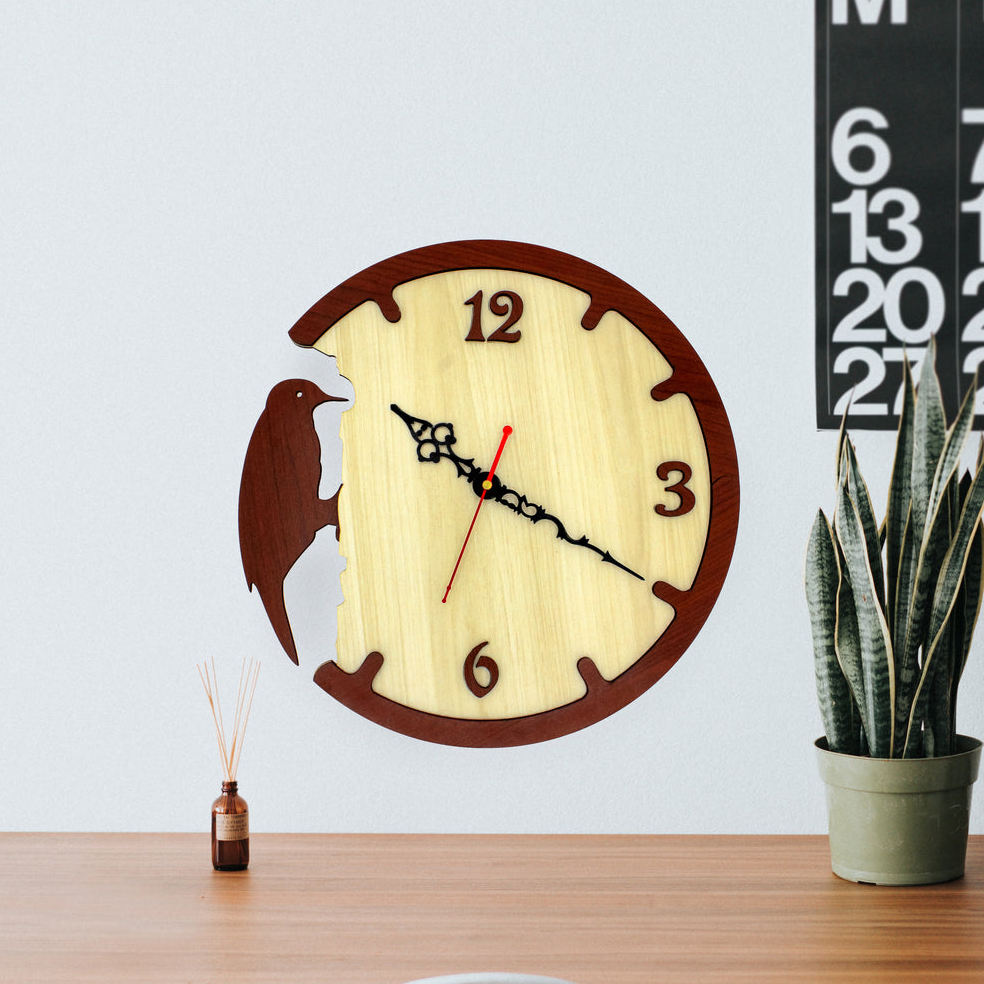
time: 10:20
